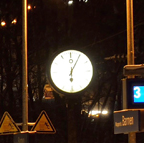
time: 6:04
